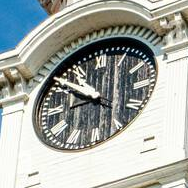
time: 9:50
